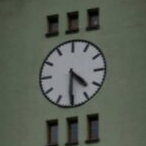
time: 4:30
